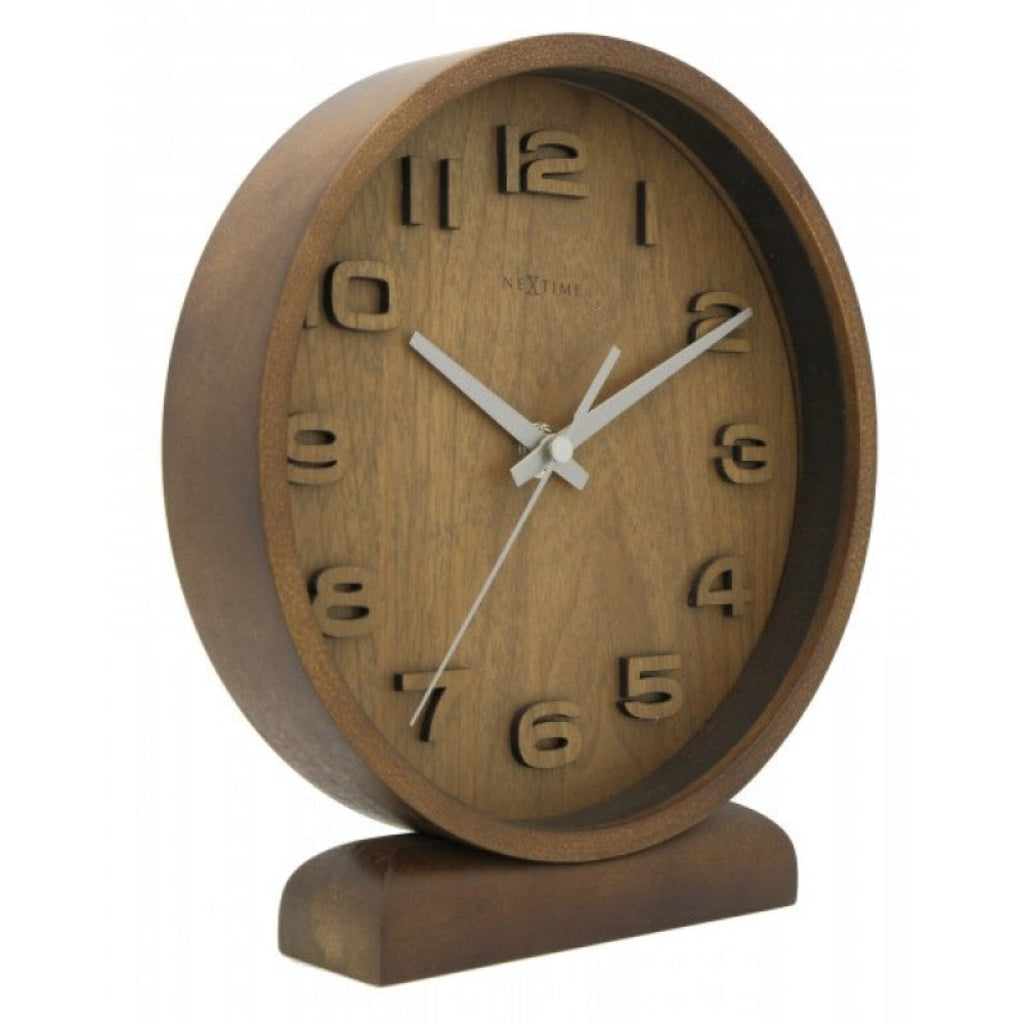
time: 10:10
